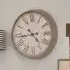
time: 4:43
